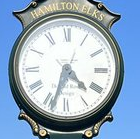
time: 4:33
